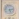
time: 5:12
